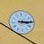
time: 3:14
